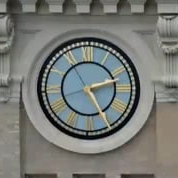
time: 2:25
